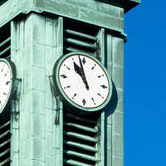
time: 10:58
